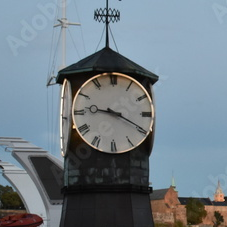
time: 9:19
